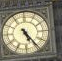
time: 5:24
